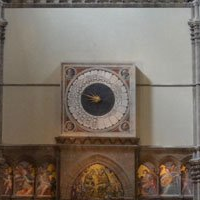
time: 8:48
